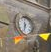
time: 11:32
